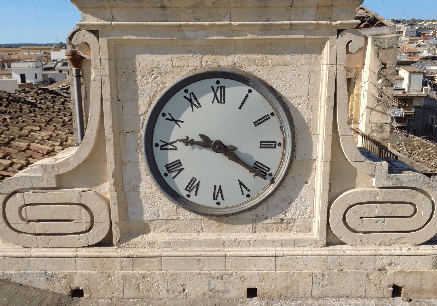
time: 9:20
